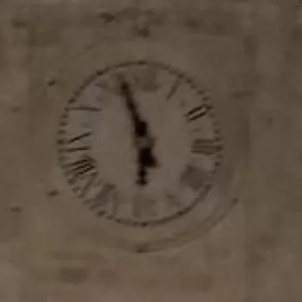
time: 5:56
